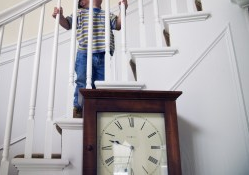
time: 9:32
